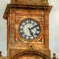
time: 5:09
